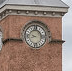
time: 8:16
